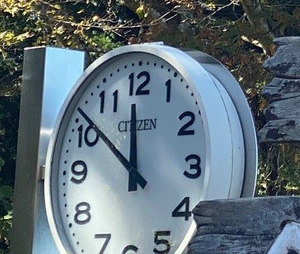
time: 11:51
